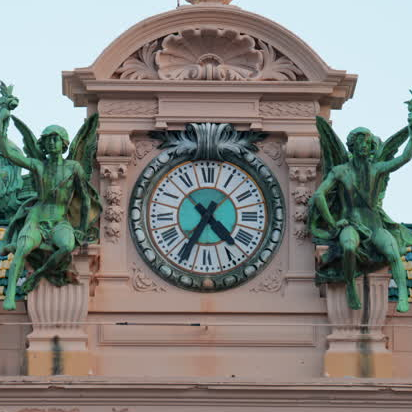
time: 4:35
